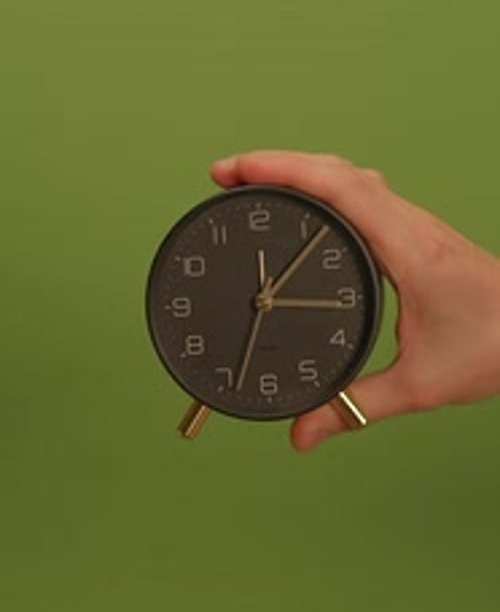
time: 3:06
